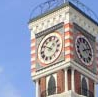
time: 1:50
